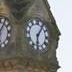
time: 6:06
